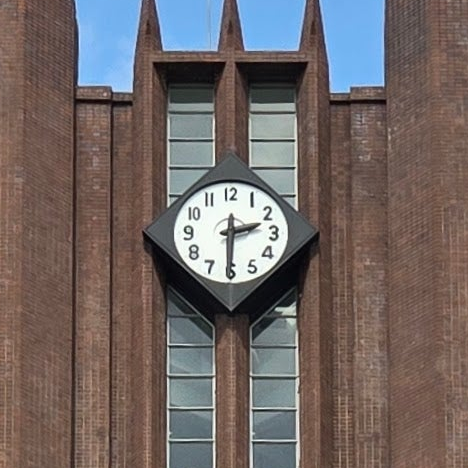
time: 2:30
